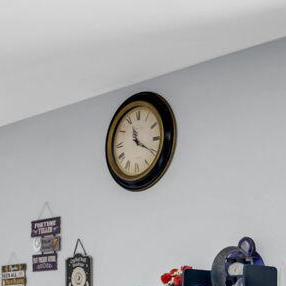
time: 11:19
